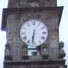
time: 6:31
